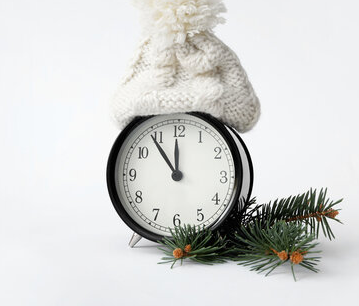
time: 11:54
